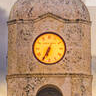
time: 6:34
